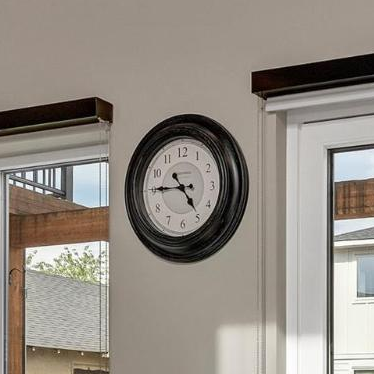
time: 4:45
